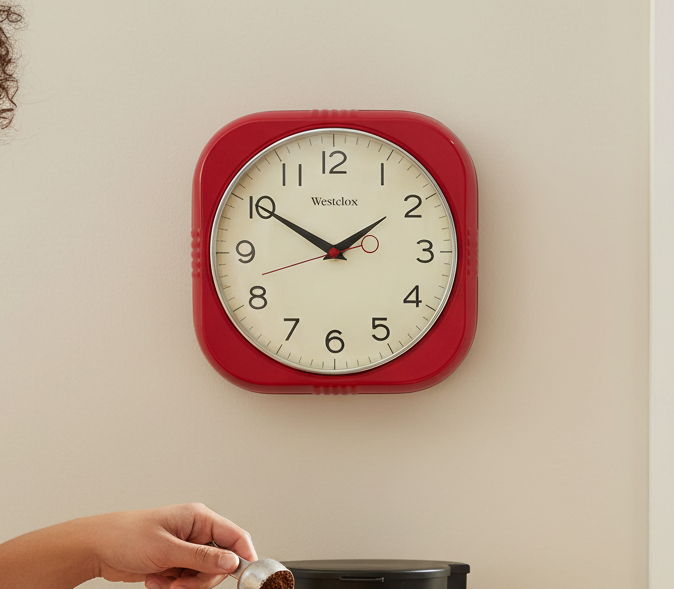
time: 1:50
